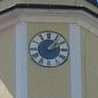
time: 2:06
